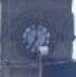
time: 7:00
